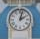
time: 2:02
